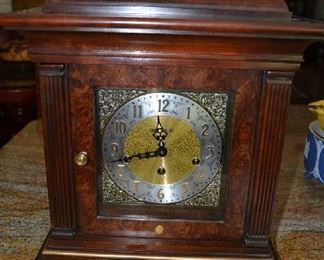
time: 11:43
